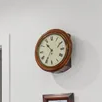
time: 10:35
